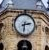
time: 2:31
